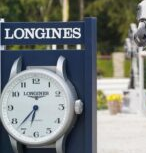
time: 6:37
